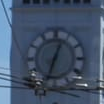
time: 12:32
